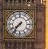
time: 7:36
